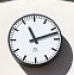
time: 11:12
